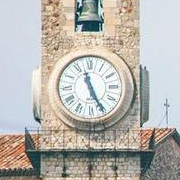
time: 11:25
